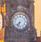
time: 7:33
